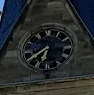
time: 6:39
